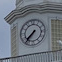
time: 7:37
